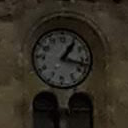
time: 1:17
